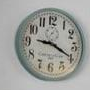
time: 9:19
